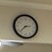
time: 2:37
